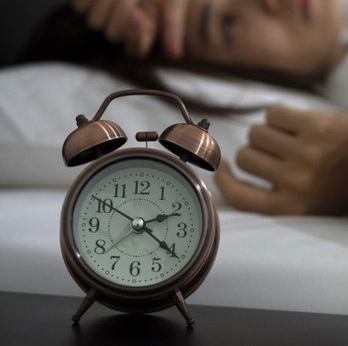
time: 2:20
